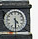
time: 4:30
